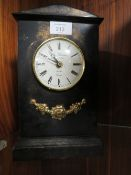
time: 10:50
